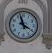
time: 3:57
